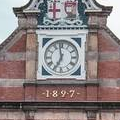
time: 6:58
